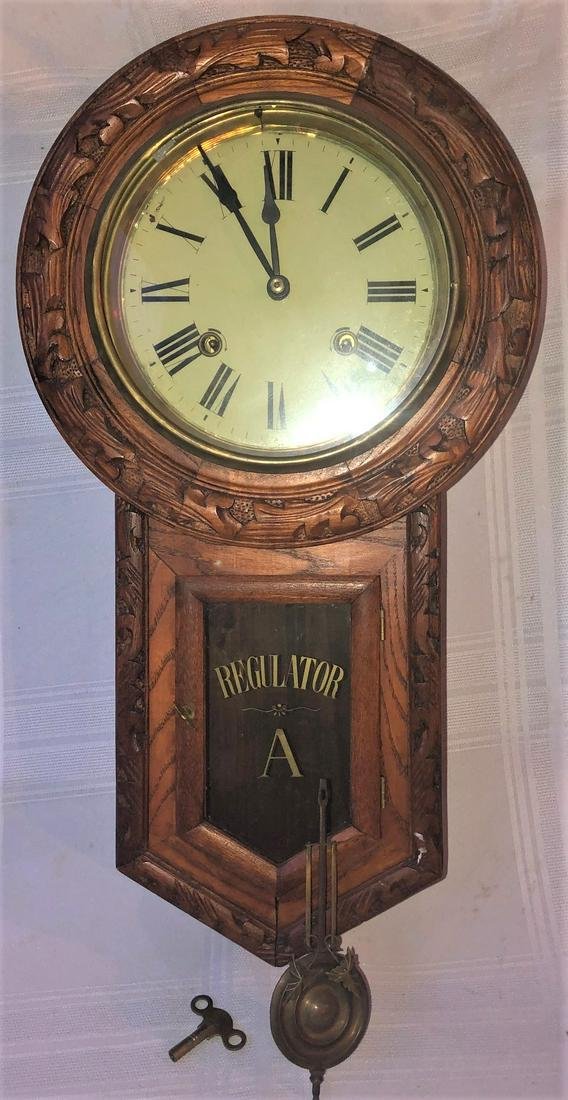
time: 11:54
